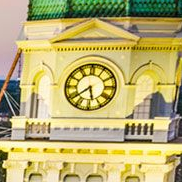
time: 5:38
